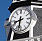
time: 8:32
